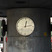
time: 12:13
